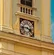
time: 3:43
